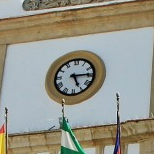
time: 5:14
